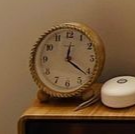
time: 12:21
